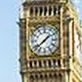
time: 1:38
